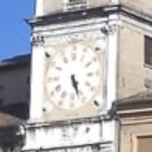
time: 5:26
